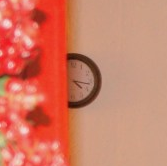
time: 4:16
